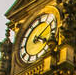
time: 4:09
